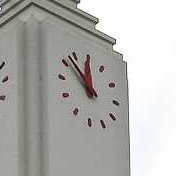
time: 11:52
